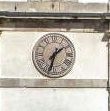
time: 1:33
